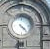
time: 4:22
